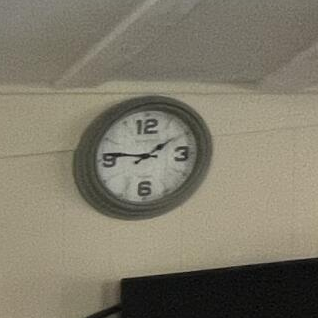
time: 1:46
